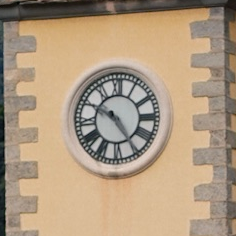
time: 4:50
